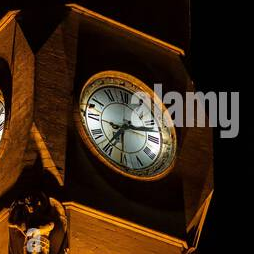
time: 7:12
